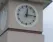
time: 12:14
